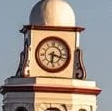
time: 6:17
